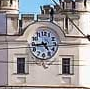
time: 4:43
